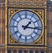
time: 1:16
